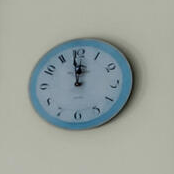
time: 11:58
